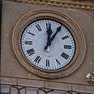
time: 12:05
